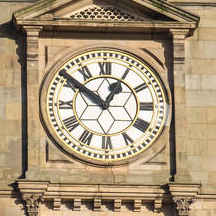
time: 12:51
